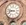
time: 8:47
